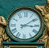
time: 3:09
